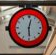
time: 12:29
